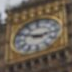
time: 2:48
